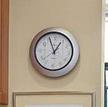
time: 12:56
